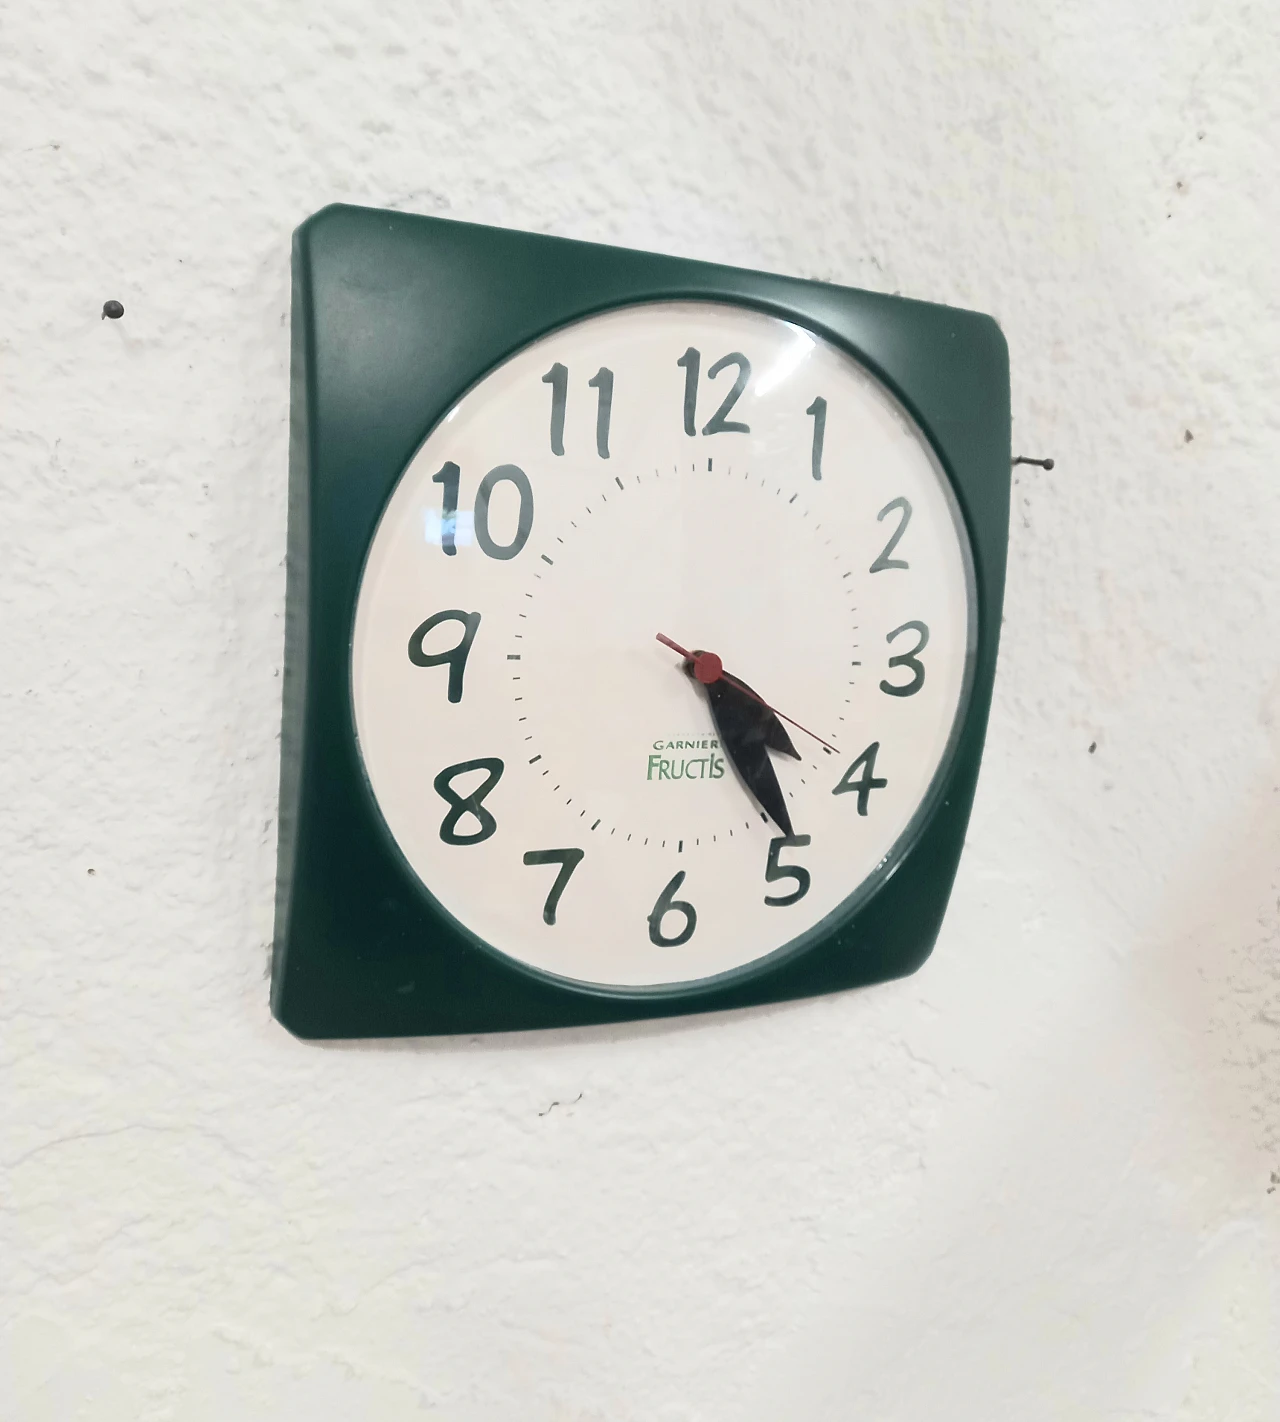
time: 4:23
